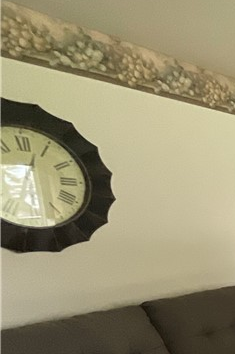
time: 12:28
